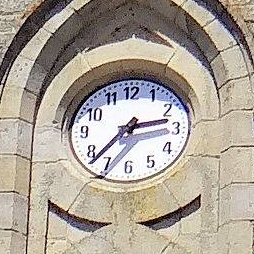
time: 2:37
